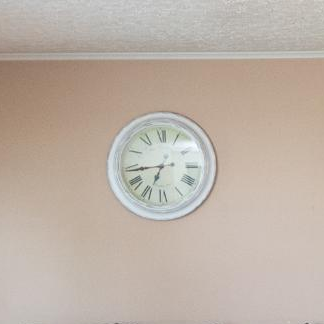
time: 6:43
